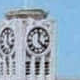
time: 12:21
